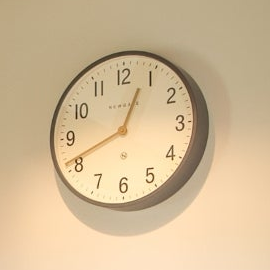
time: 12:41
